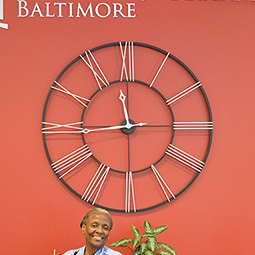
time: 11:44
